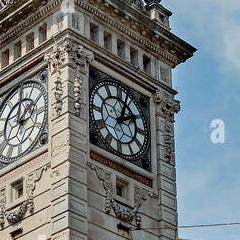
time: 2:02
